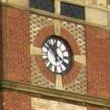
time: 11:52
